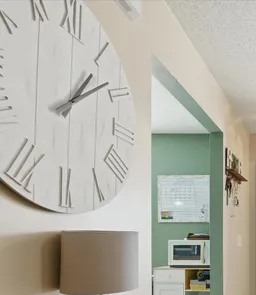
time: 1:08
